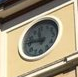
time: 11:46
